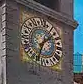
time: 1:33
